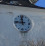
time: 11:45
